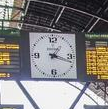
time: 1:18
